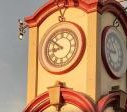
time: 8:50
